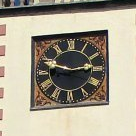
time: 2:48
